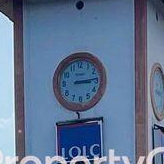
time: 3:14
